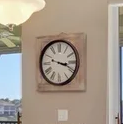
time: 3:18
